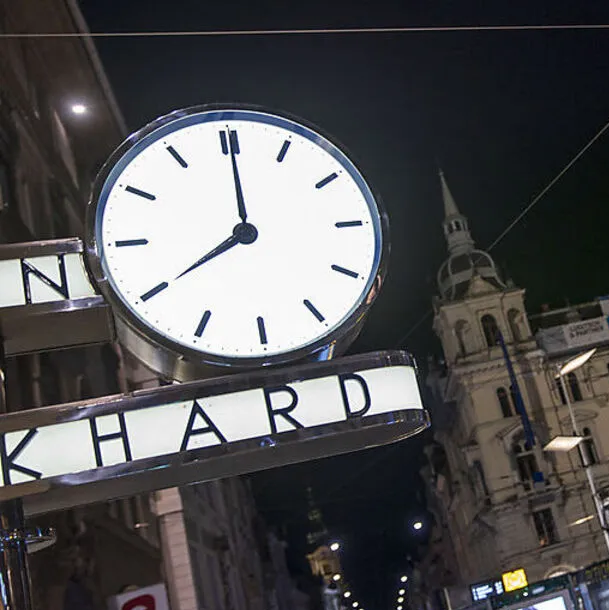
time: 8:00
